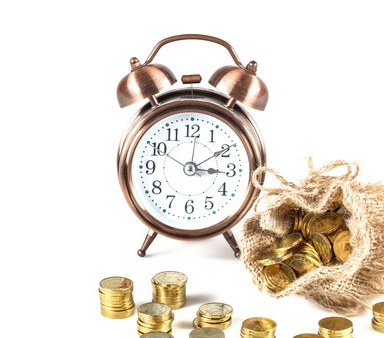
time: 3:09
